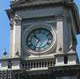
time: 10:35
